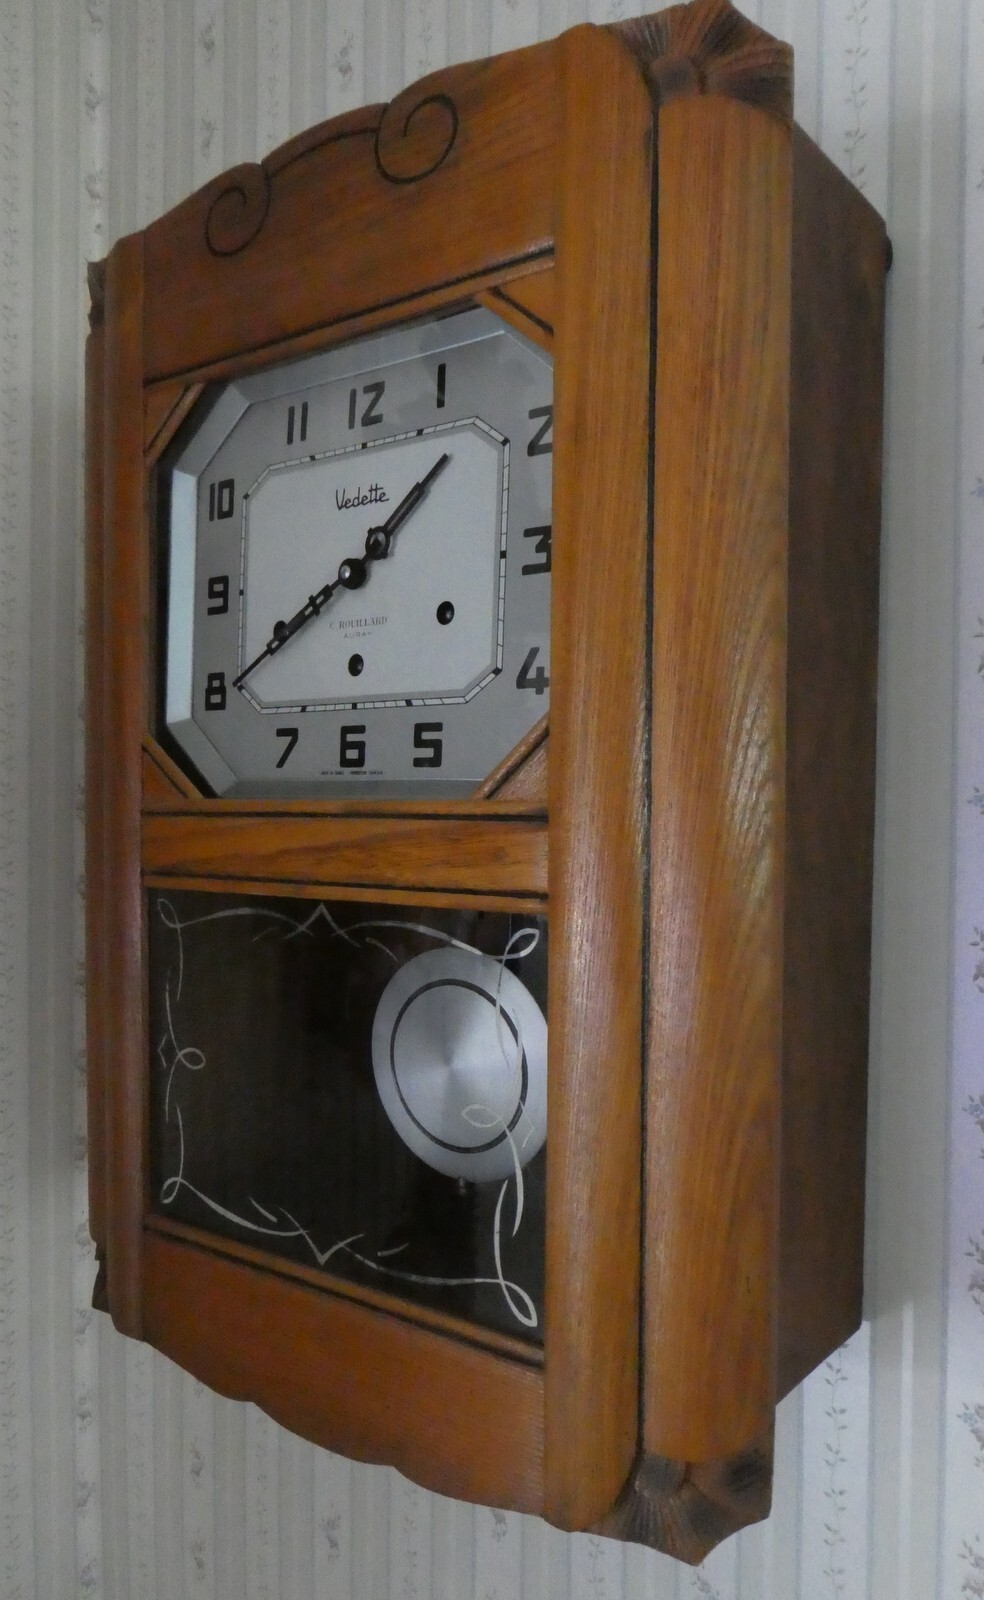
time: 1:40
